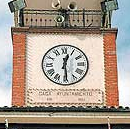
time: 12:29
